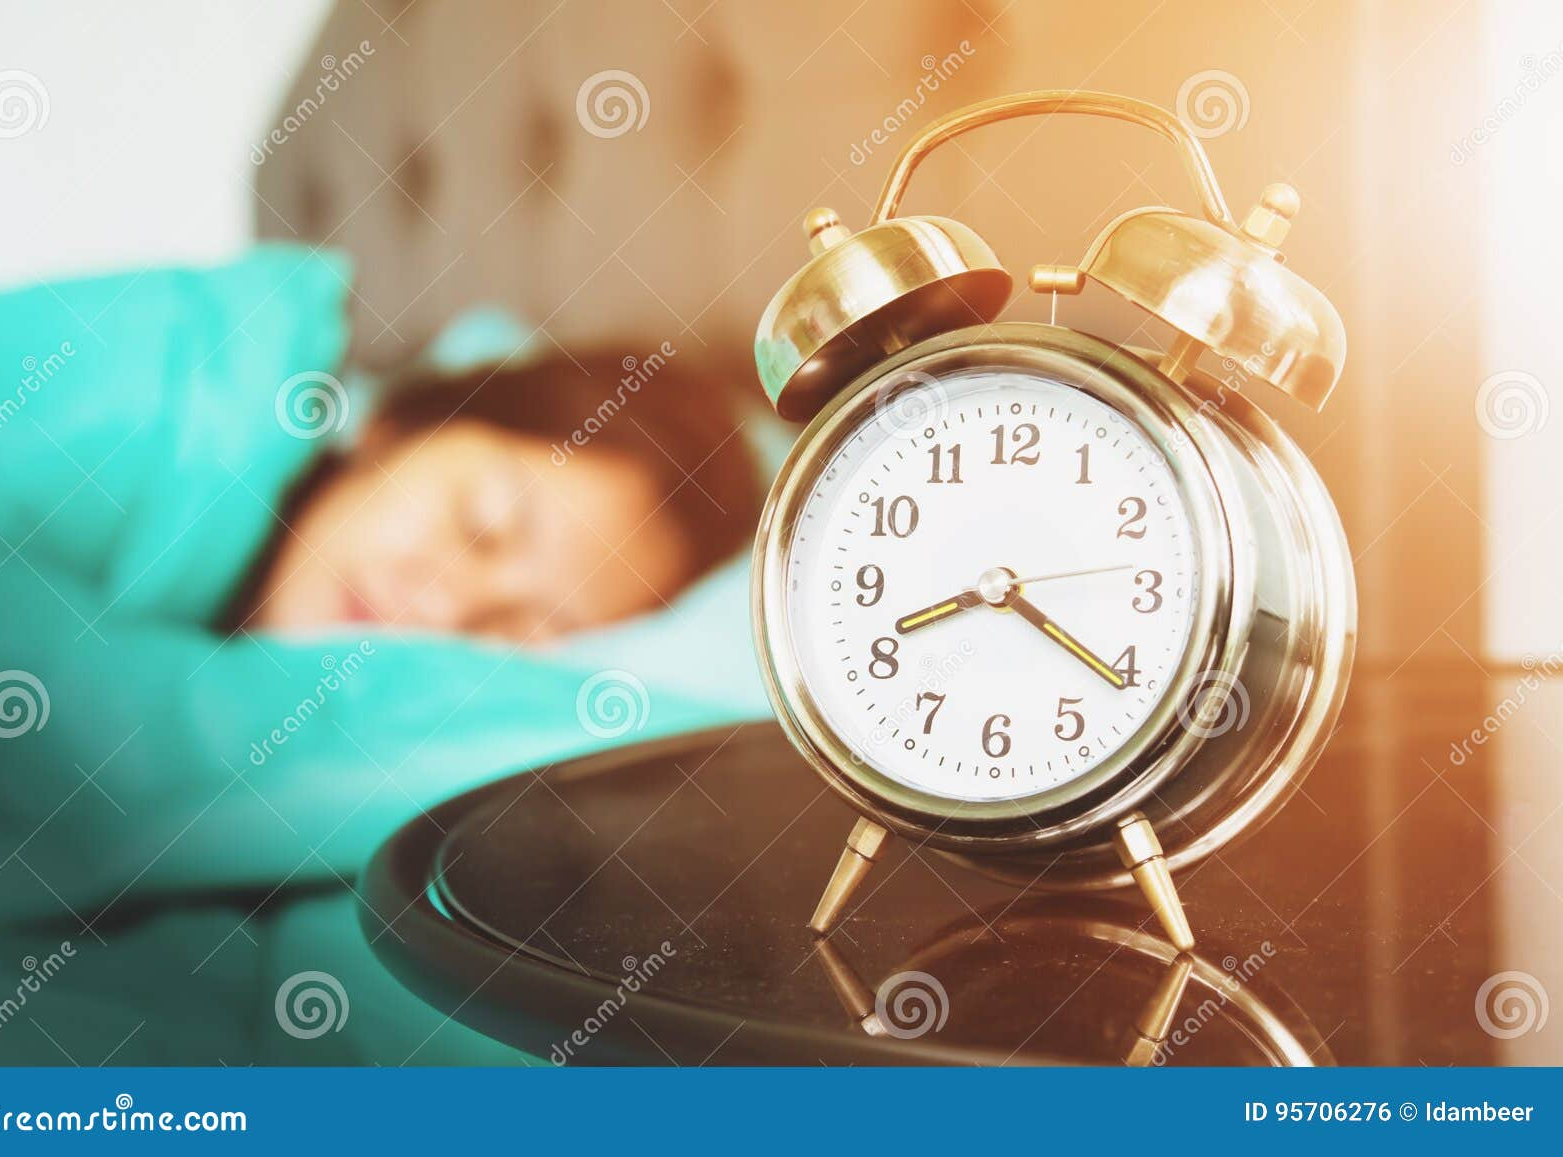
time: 8:21
